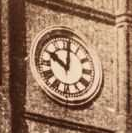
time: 10:00
